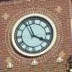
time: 3:57
